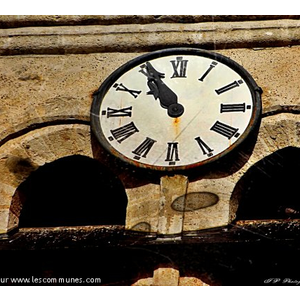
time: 10:55
